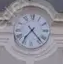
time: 7:23
